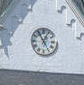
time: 12:55
